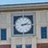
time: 2:13
